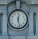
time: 12:27
